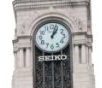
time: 1:02
